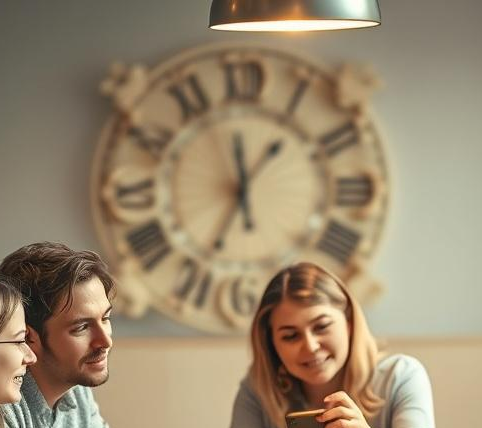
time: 11:34
